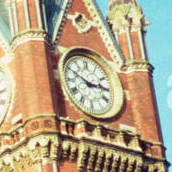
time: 2:50
